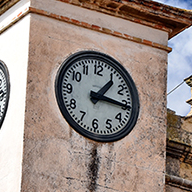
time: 1:15
